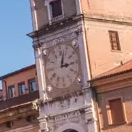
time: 3:02
